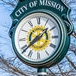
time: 1:38
